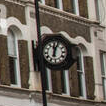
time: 12:03
